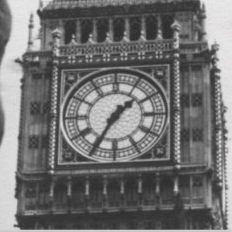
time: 1:35
